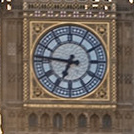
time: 6:46
